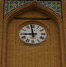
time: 8:58
